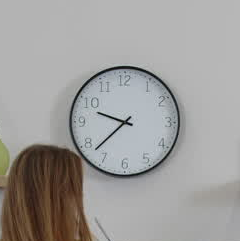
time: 9:37
